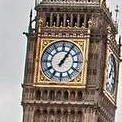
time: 1:05
